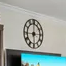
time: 5:59
